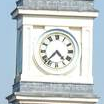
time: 4:37
